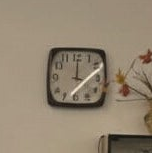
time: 4:00
